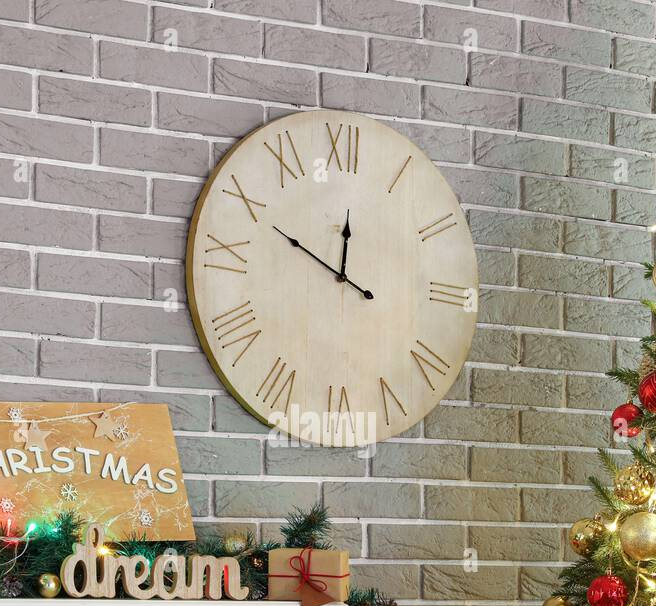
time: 11:48
